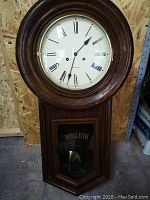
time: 1:32
